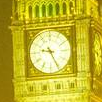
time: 9:25
